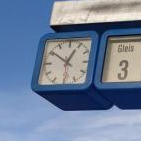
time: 12:50
